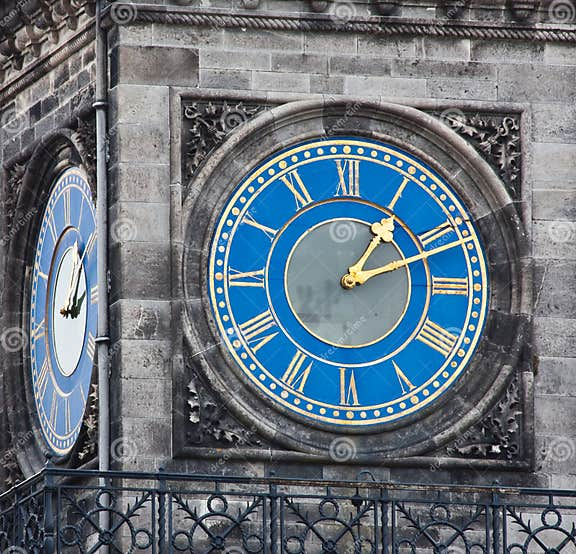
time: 1:11
